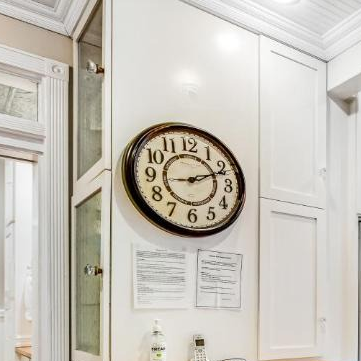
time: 2:11
